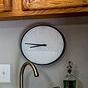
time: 8:46
